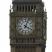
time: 4:03
